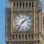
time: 1:36
